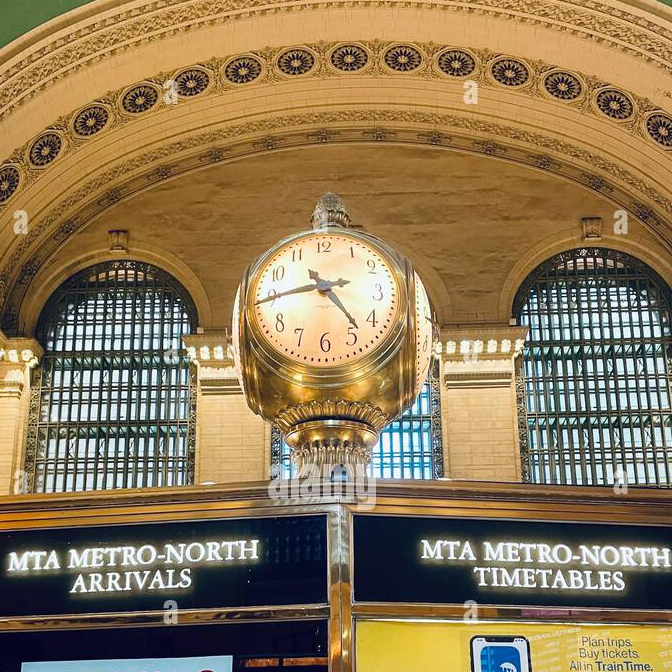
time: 4:44
